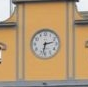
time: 2:32
